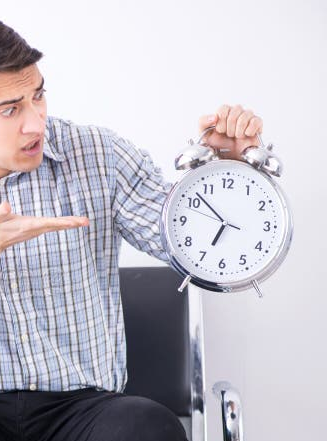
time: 6:52
